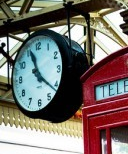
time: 11:21
